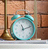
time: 11:11
